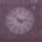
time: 2:52
